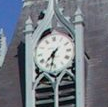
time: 7:32
